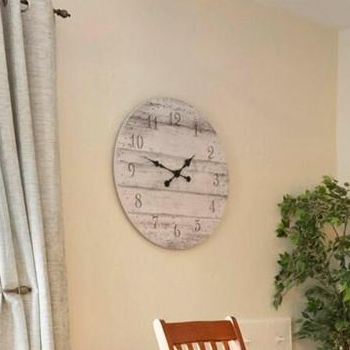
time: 1:47
